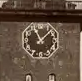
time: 11:07
